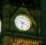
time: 6:18
